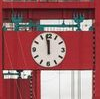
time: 11:58
